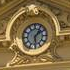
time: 1:29
